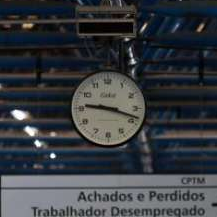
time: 9:18
